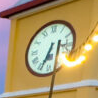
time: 6:34
